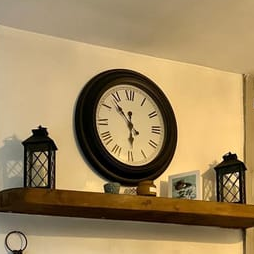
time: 5:53
